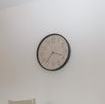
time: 3:36
